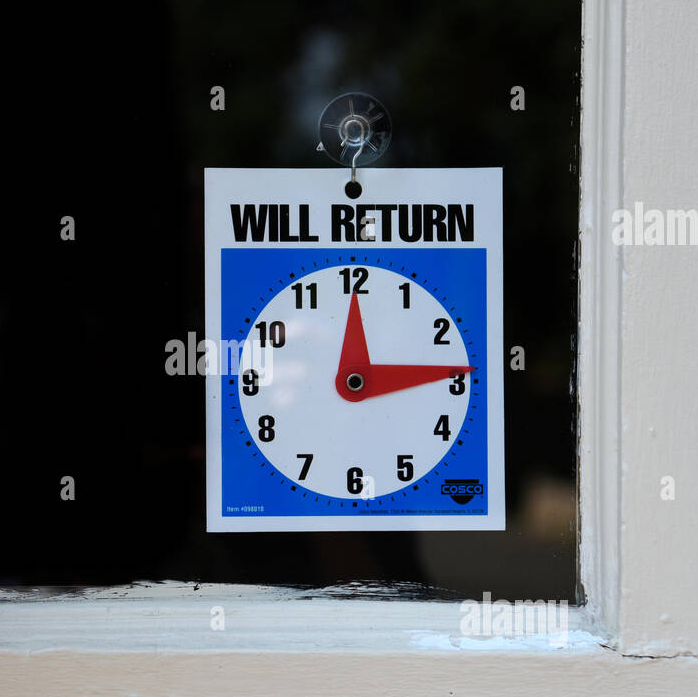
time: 12:13
